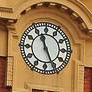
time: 11:25
